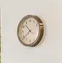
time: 10:38
